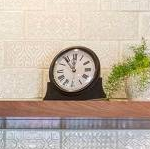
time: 11:53
